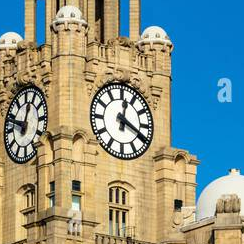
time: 12:19
